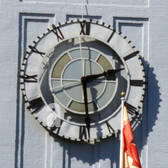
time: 2:29
